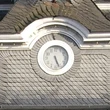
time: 5:26
